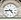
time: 4:44
